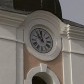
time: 11:52
